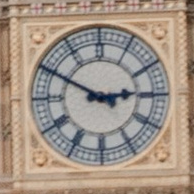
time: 2:49
